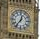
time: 12:36
